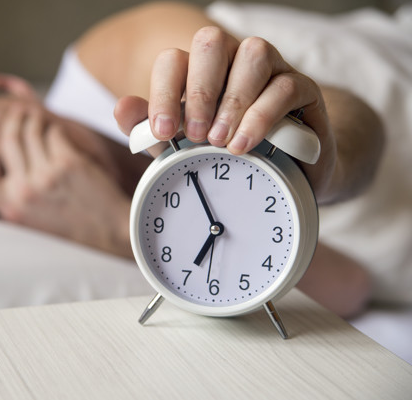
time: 6:55
